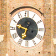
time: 6:47
